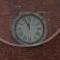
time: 11:55
